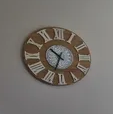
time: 10:33
